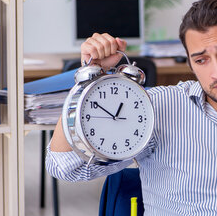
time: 12:50
